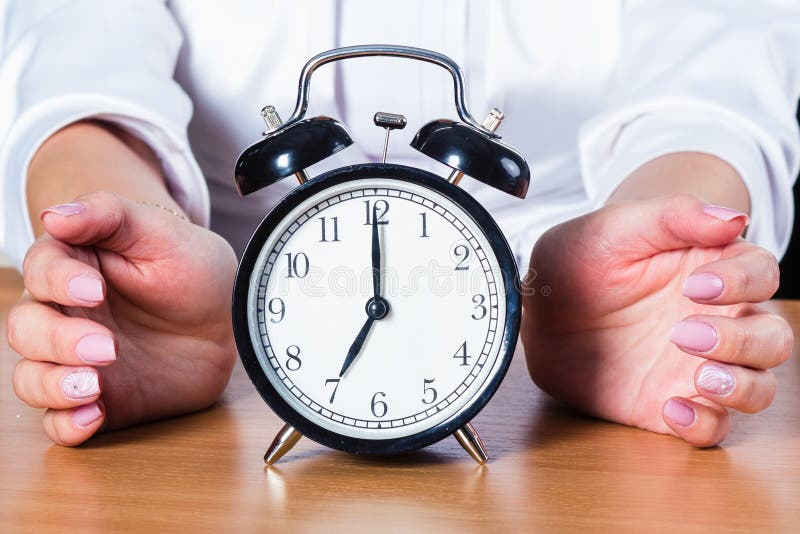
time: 7:00
